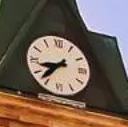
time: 8:37
